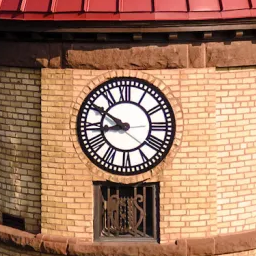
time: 8:50
